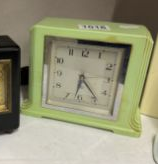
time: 6:23
